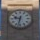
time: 9:32
